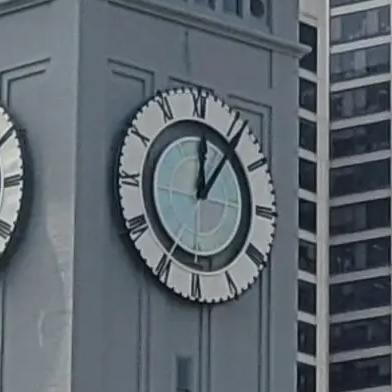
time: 12:06
